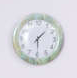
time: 1:29
